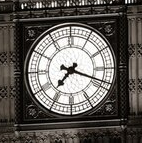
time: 7:18
